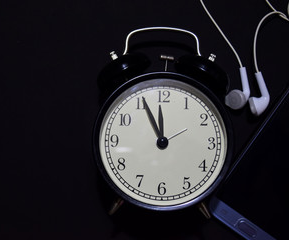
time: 11:55
